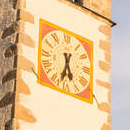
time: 5:32
